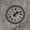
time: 1:10
